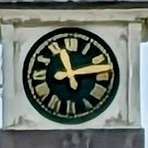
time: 11:13
